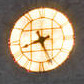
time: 8:25
